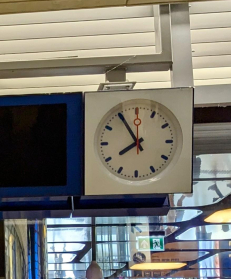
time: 7:54
